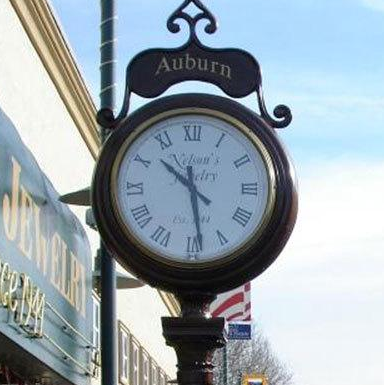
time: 10:28
